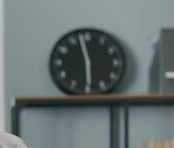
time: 11:29
